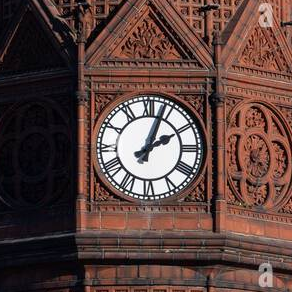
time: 2:03
